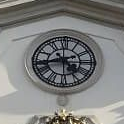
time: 4:42
